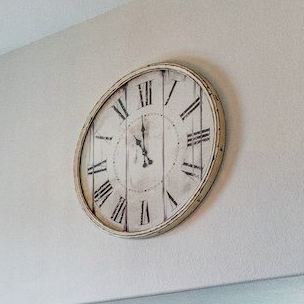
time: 10:59
